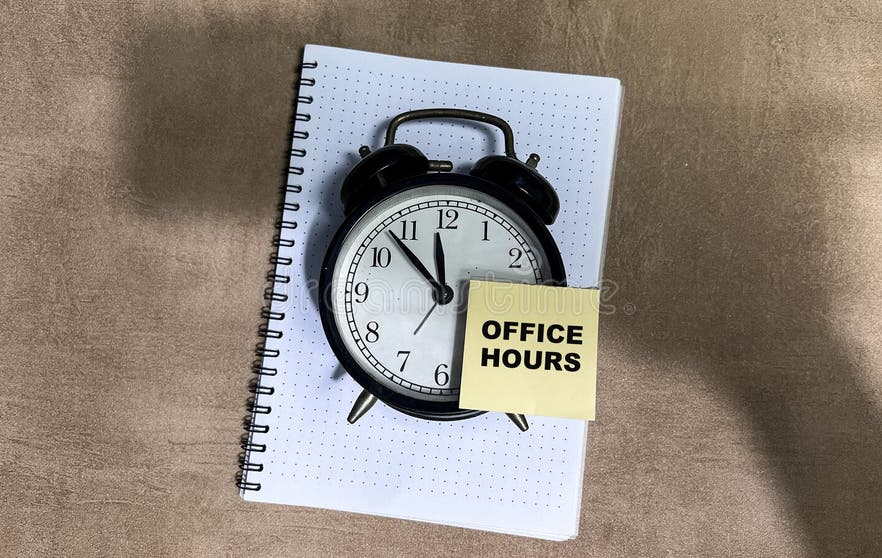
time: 11:52
